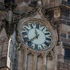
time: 11:37
